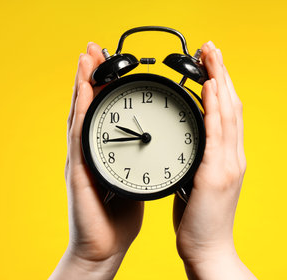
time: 9:44
